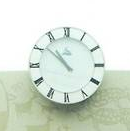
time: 10:51
